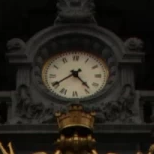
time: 4:39
